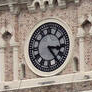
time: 3:24
